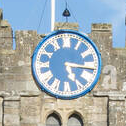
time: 5:15
